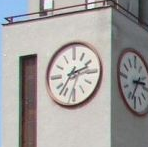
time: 2:36
